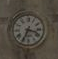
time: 3:34
